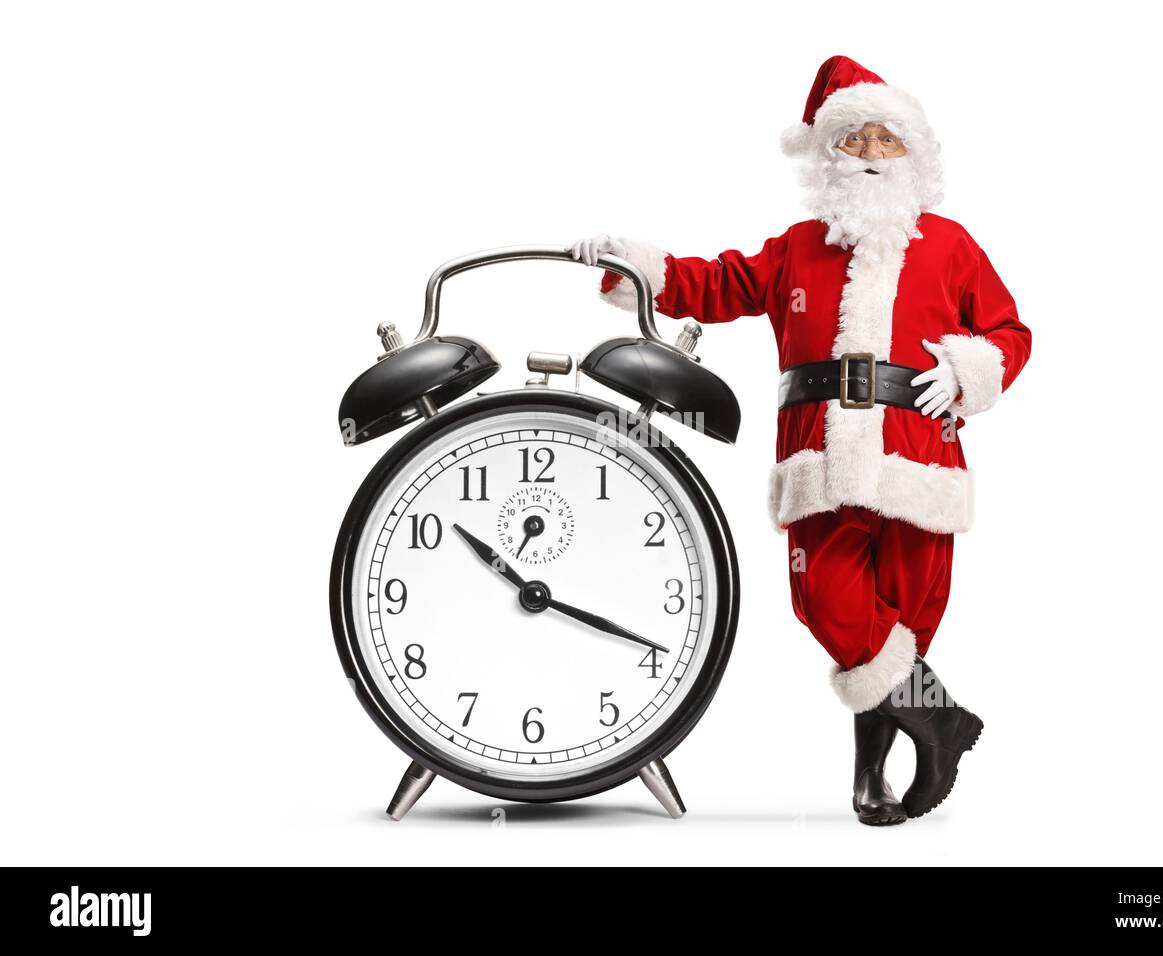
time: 10:18
